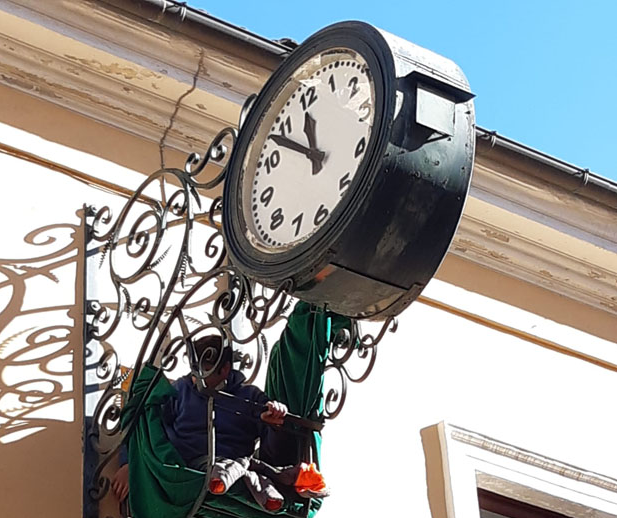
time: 10:48
